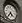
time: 4:35
